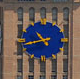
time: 10:42
